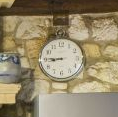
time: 8:45
